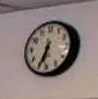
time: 6:34
